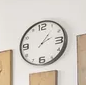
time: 2:06
